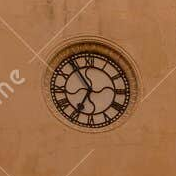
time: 6:54
